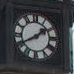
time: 1:40
